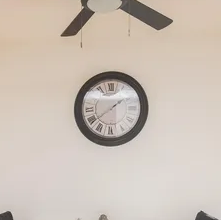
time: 1:38
